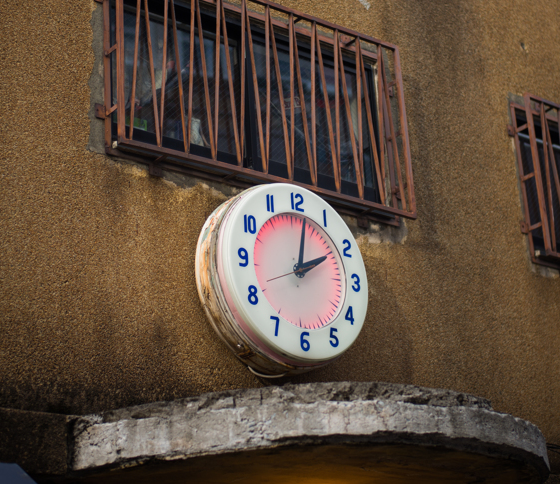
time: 2:01
